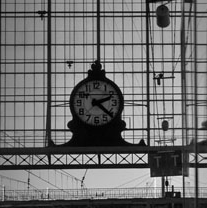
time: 2:21
